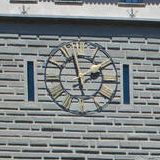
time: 1:57
